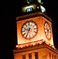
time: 9:34
